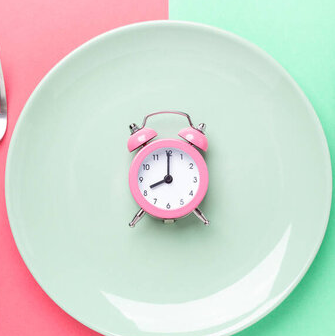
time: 8:00
